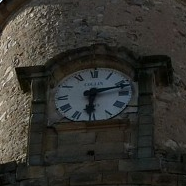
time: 6:12
